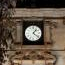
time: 1:21
